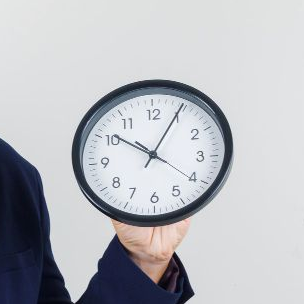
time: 10:04
